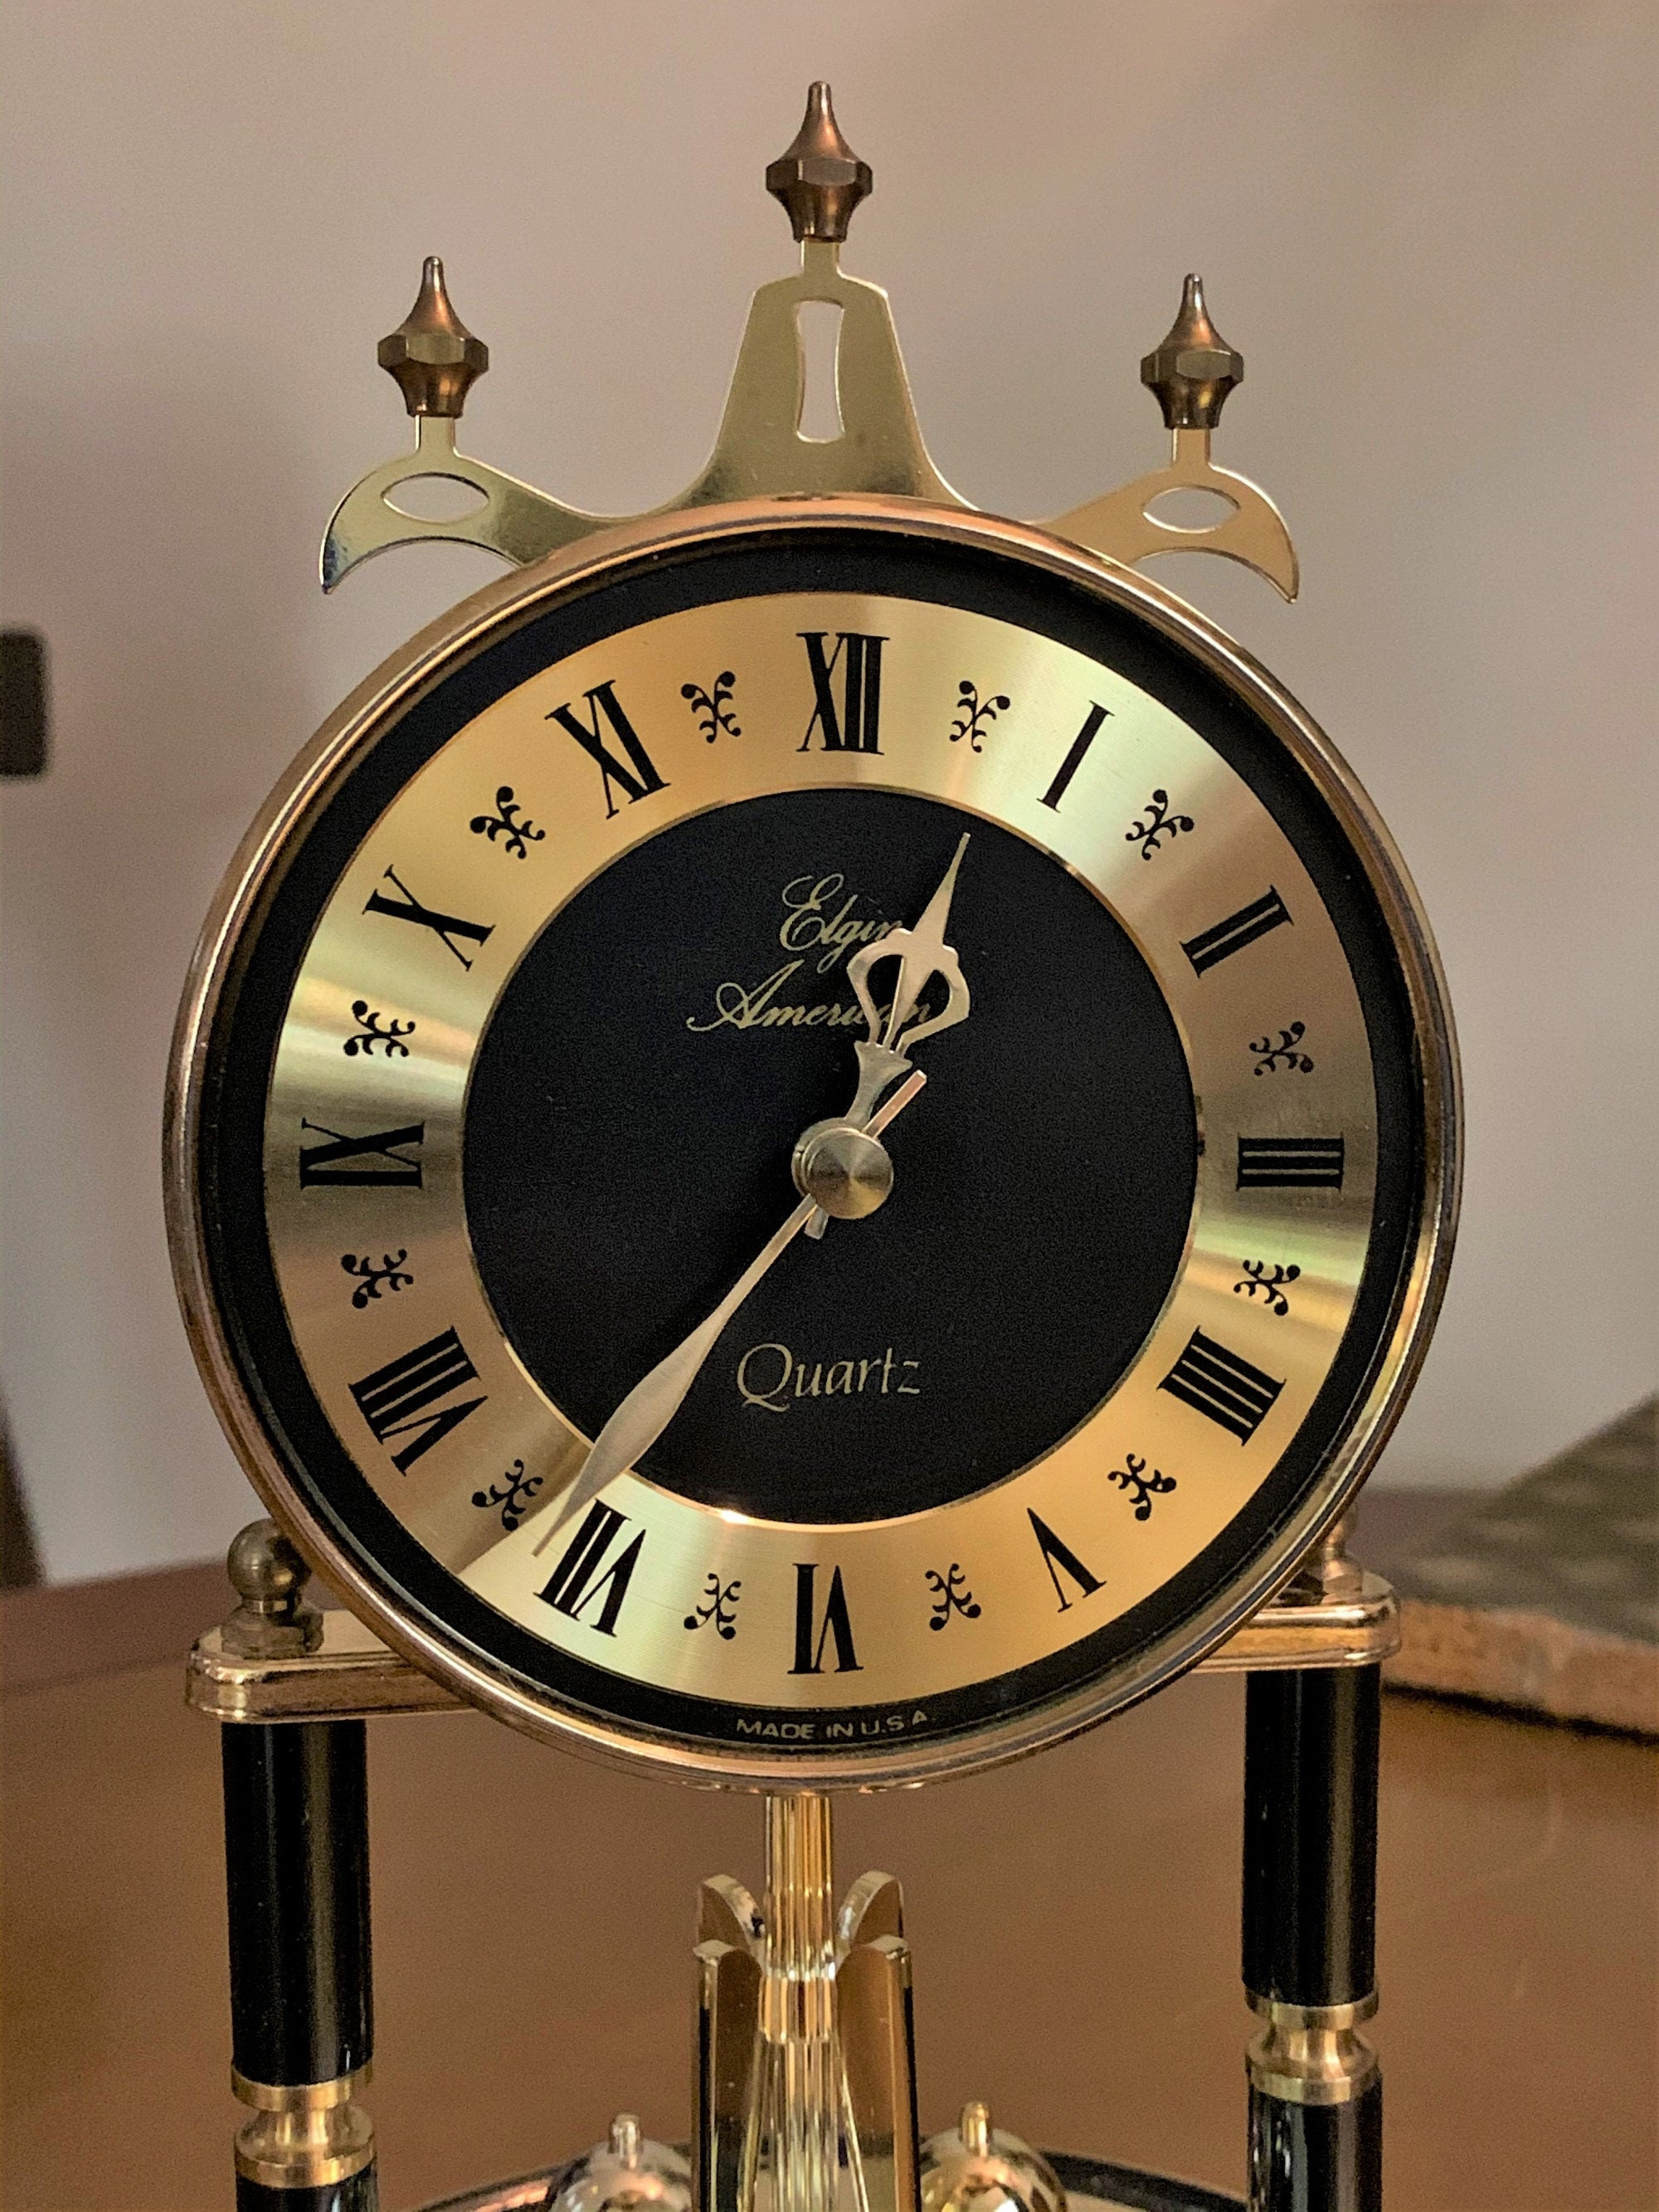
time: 12:35
